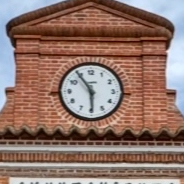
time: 5:54
